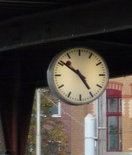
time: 4:51
